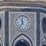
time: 11:35
